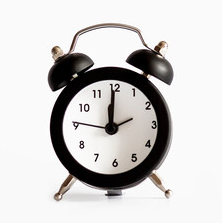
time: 12:00
